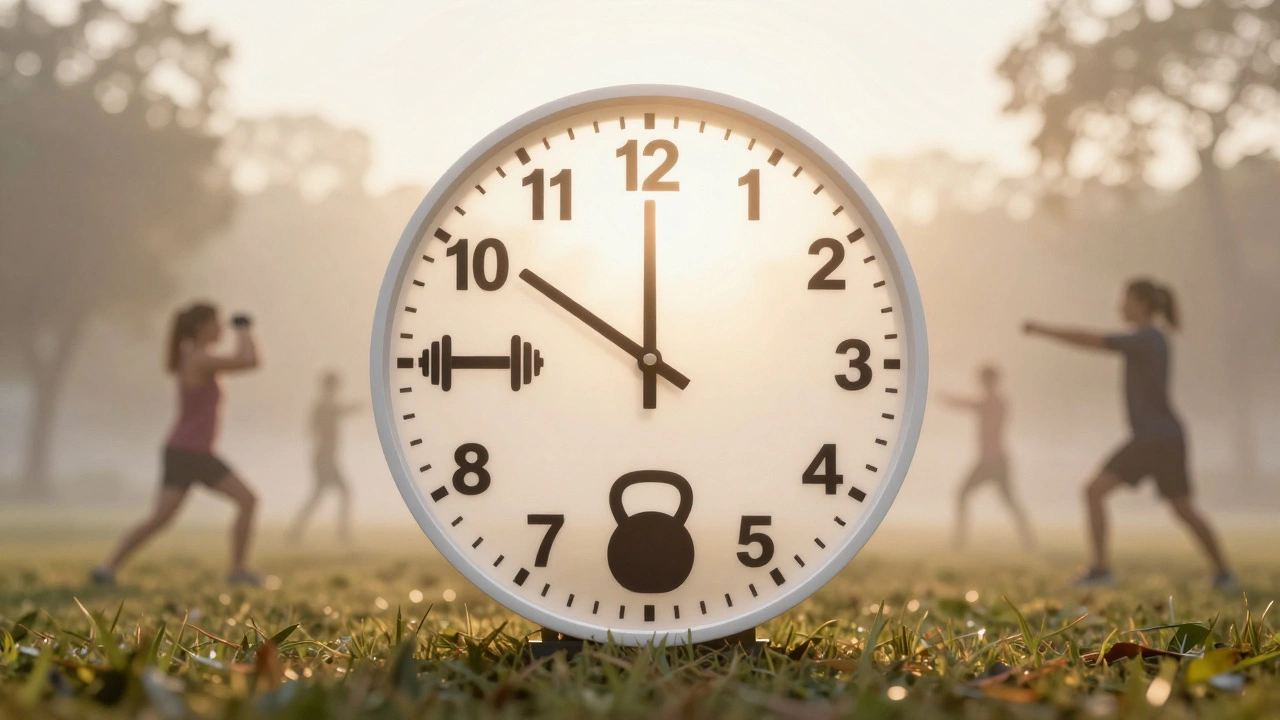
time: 11:50
